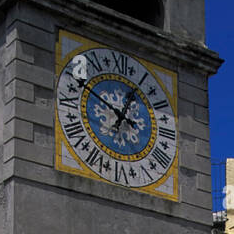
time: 12:49
